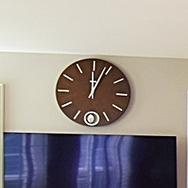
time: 12:03
